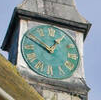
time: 12:49
